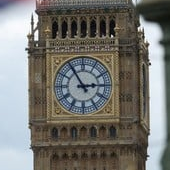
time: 2:54
